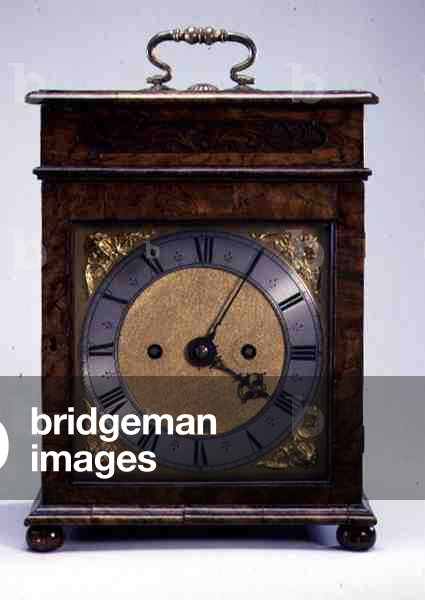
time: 4:05
